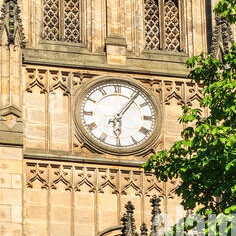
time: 6:06
